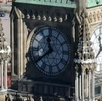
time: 11:39
